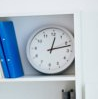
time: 12:12
